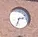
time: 2:33
